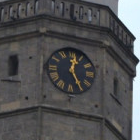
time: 12:24
